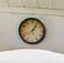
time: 1:05
